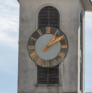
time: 1:09
